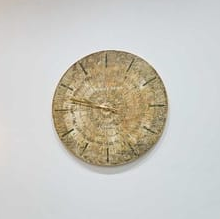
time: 9:47
